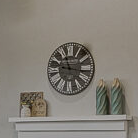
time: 11:16
